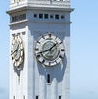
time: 1:42
